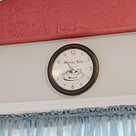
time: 10:41
